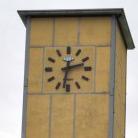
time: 2:32
